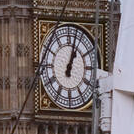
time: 1:02
